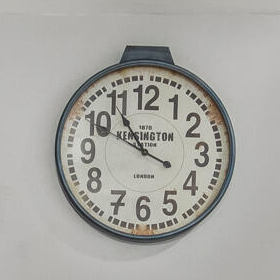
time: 10:49
